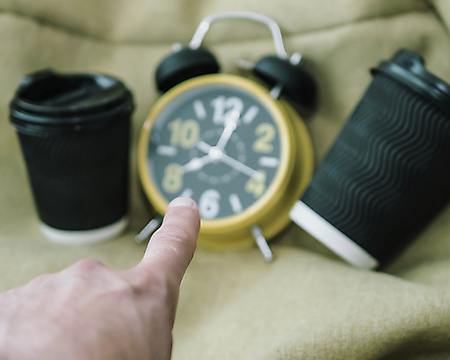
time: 12:18
